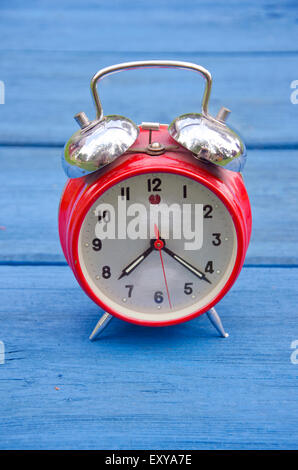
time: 7:21
